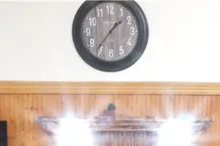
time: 1:36
